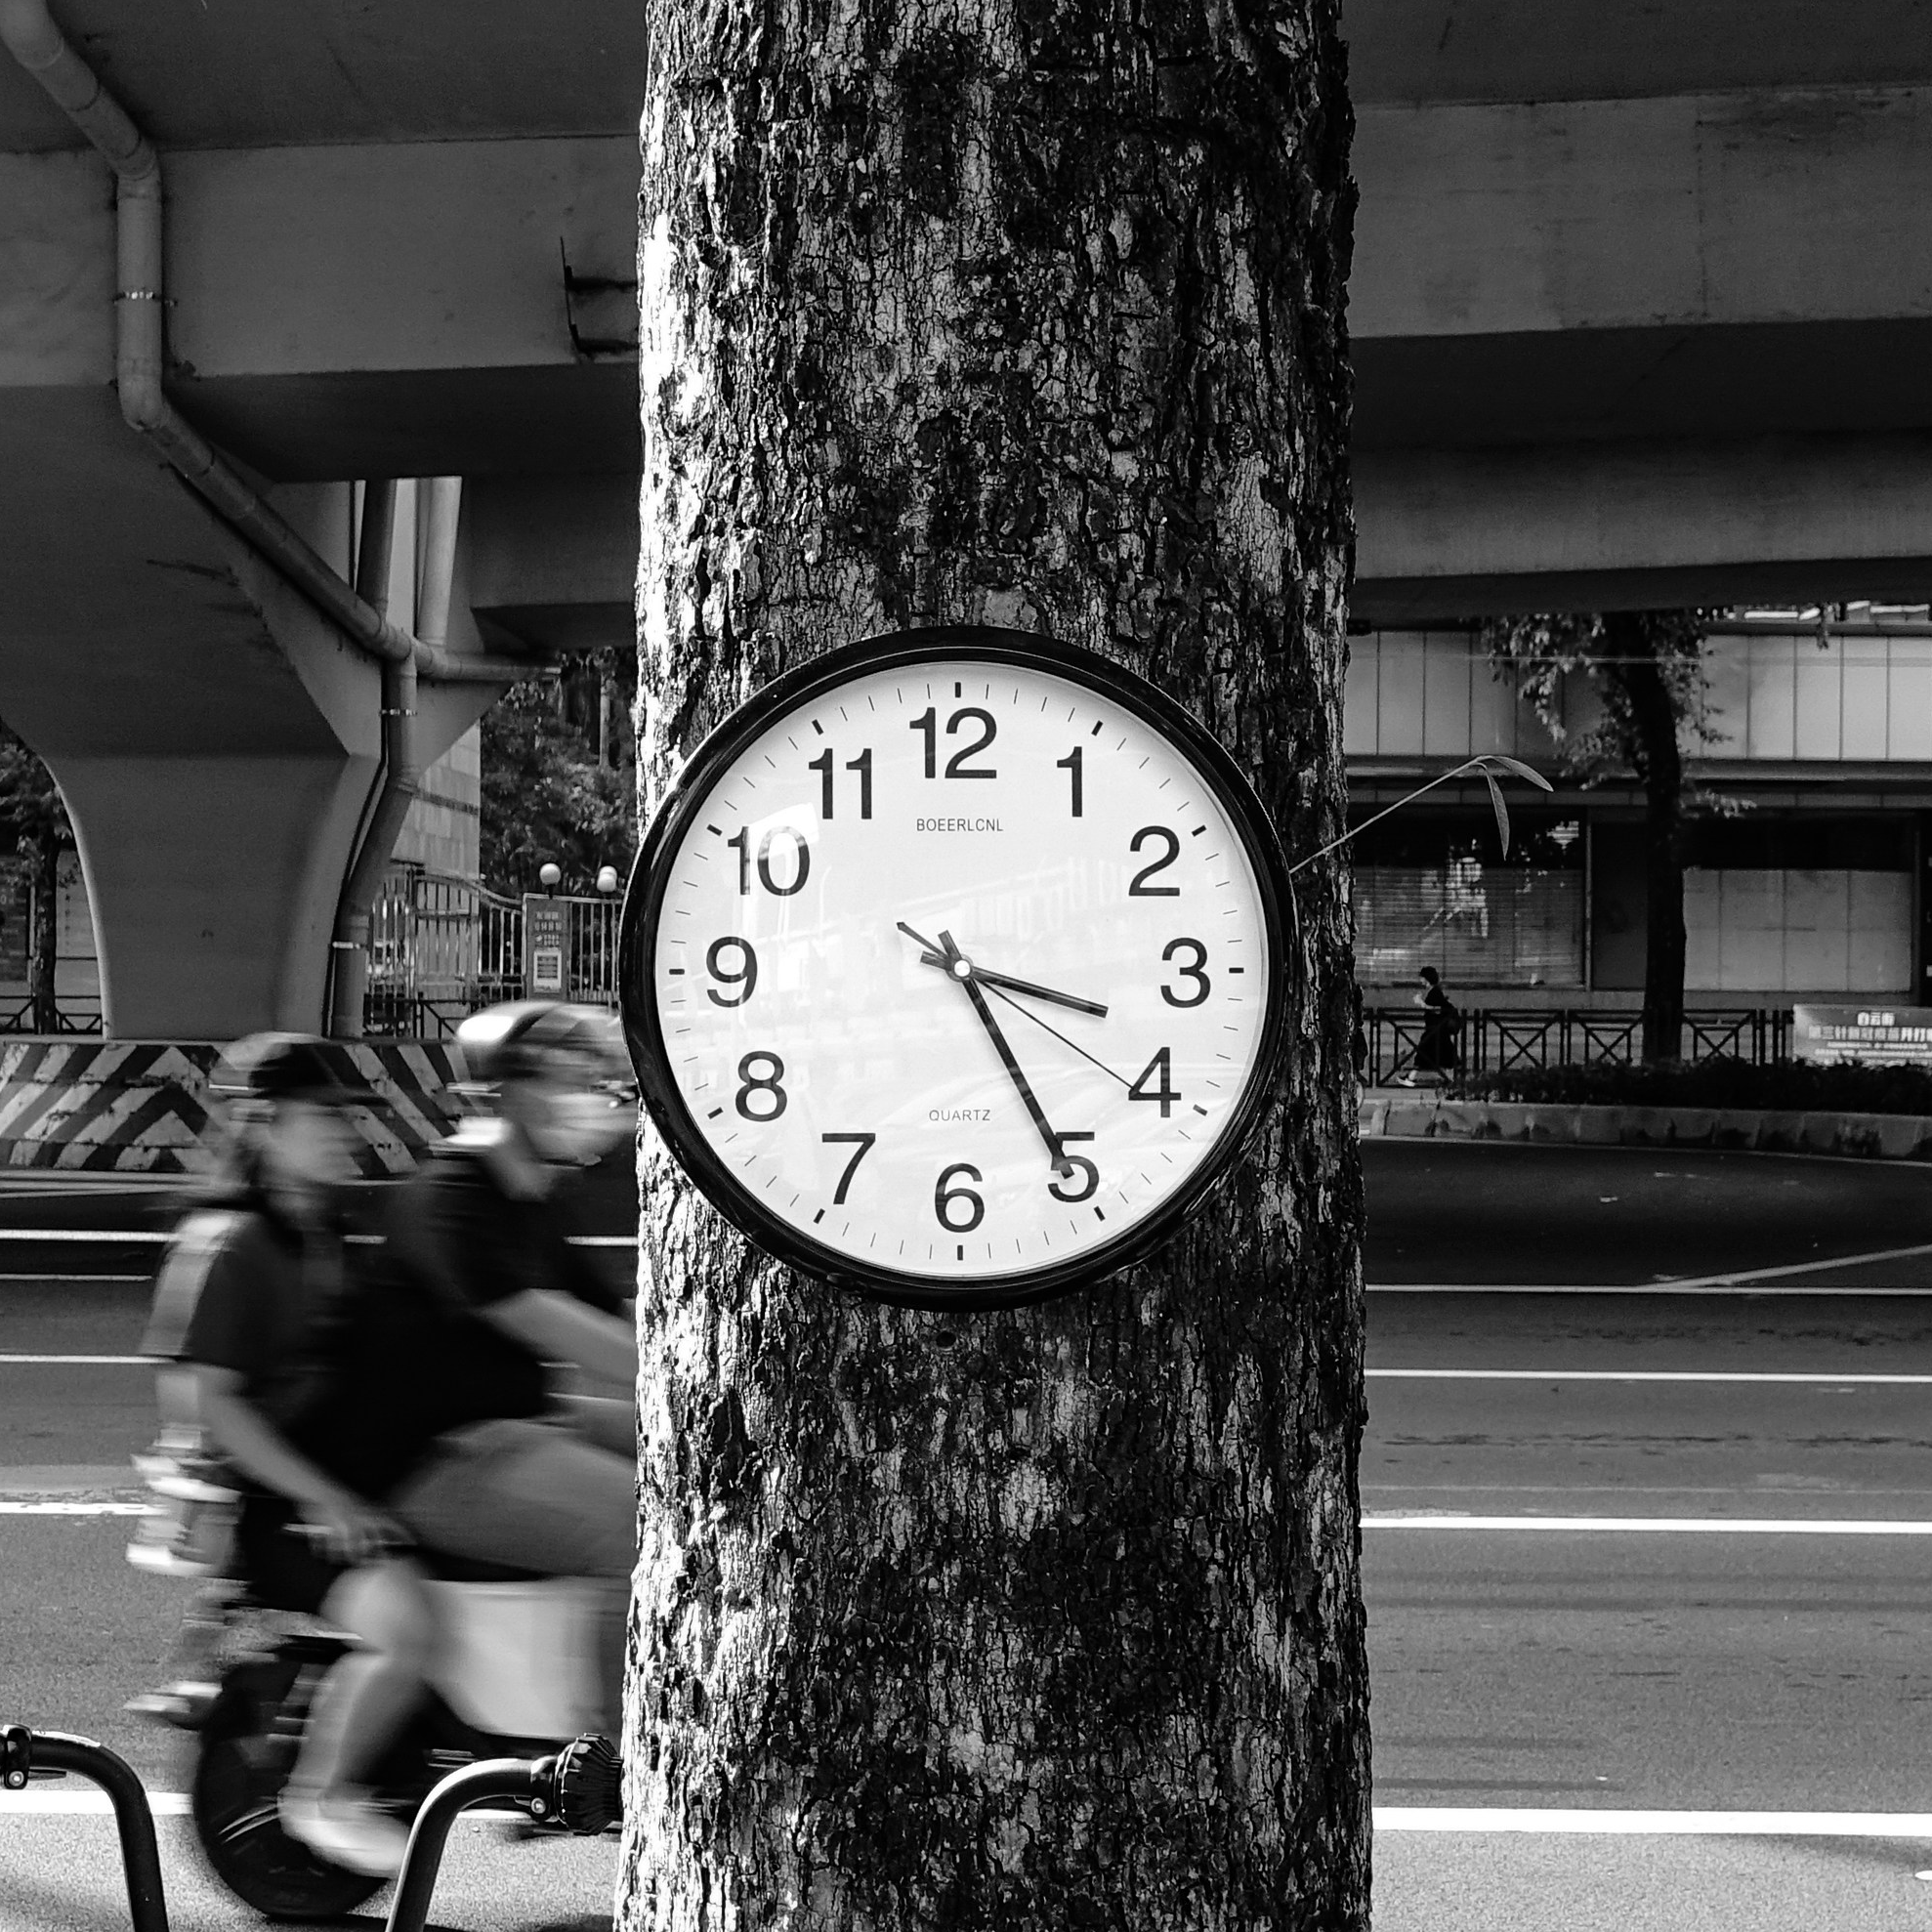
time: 3:25
